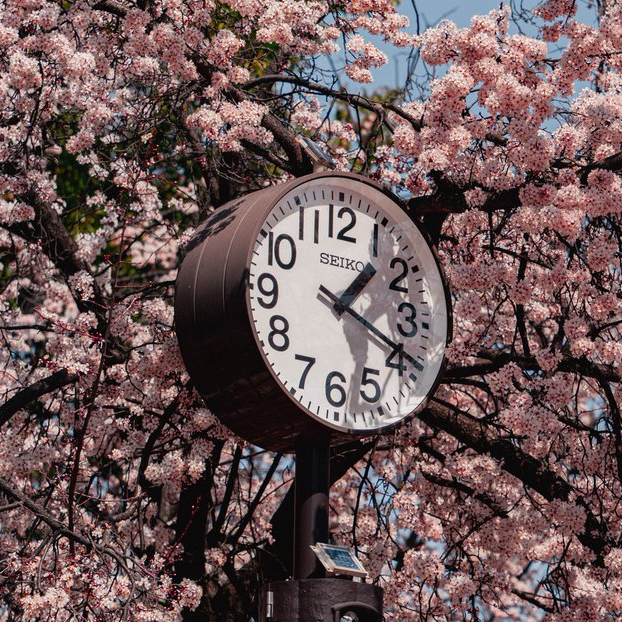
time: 1:19
